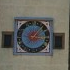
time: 1:16
